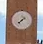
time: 1:37
